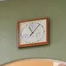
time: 11:06
